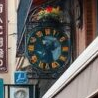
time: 1:28
